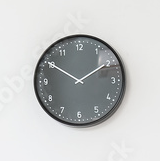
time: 1:50
